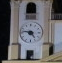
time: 4:46
